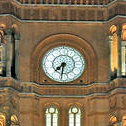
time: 7:32
